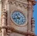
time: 10:42
